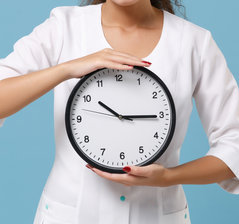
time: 10:15
